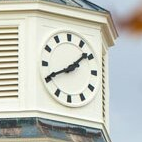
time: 1:40
